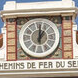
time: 1:00
